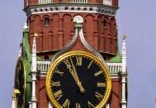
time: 10:56
